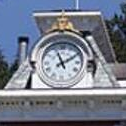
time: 11:09
